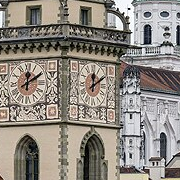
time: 12:09
